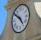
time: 4:50
